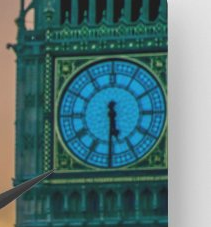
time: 5:30
